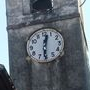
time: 12:30
